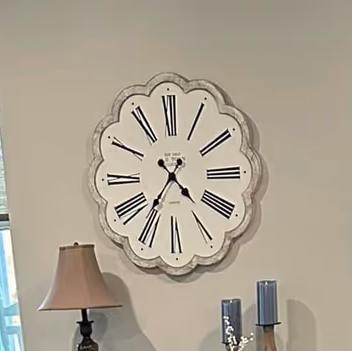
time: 4:36
